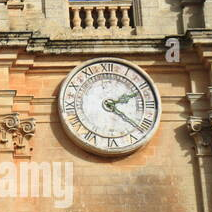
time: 2:21
